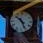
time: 10:26
